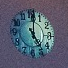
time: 5:01
